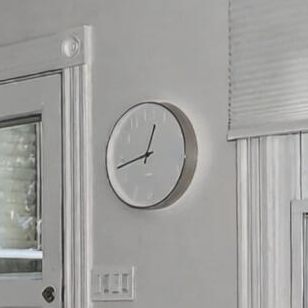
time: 12:42
